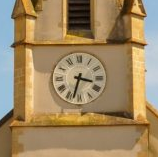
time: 3:32
